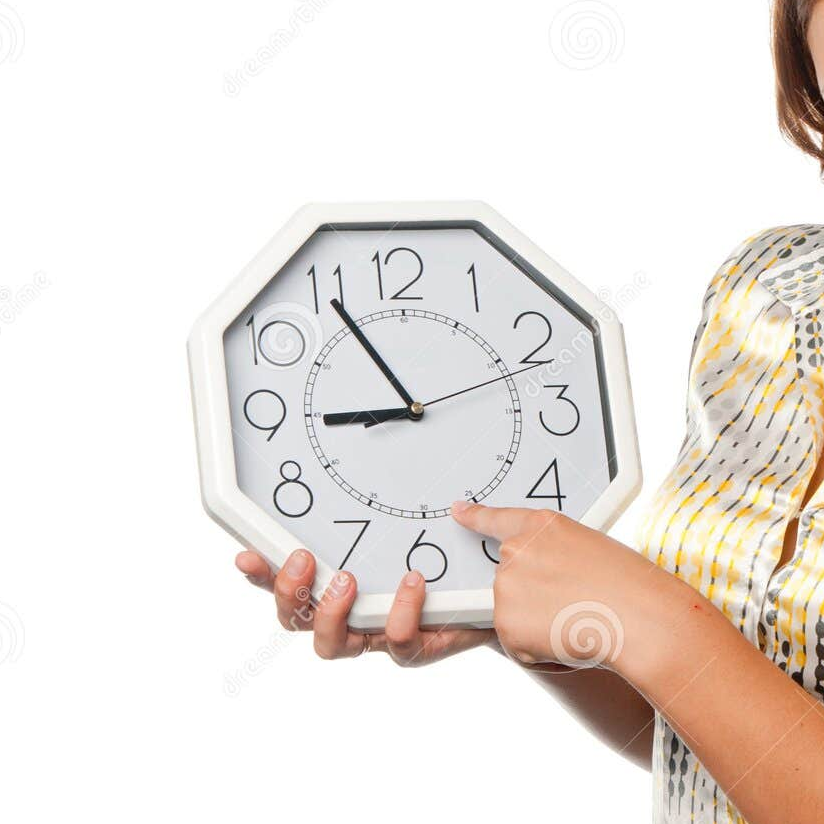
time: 8:54
